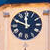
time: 11:48
